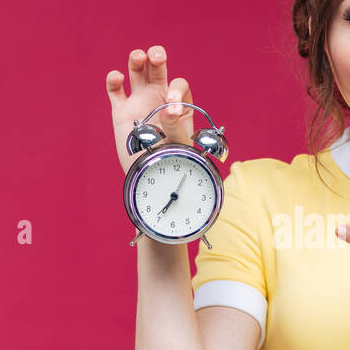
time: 7:04
